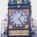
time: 1:24
